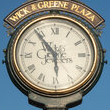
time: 5:53
